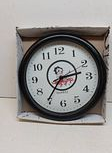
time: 2:35
